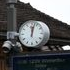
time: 12:02
